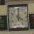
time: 4:00
